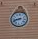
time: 8:41
